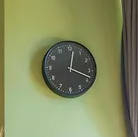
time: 12:18
